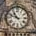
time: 10:48
